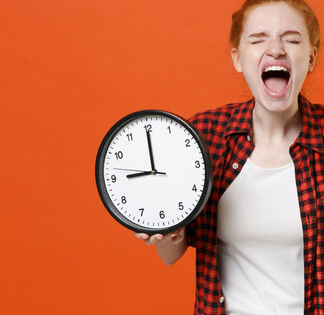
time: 8:59
